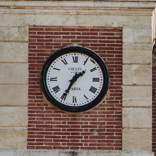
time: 1:34
